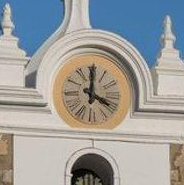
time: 4:00
